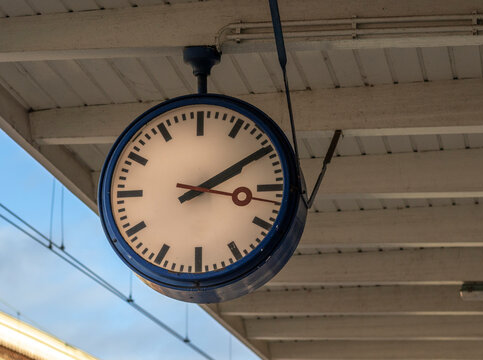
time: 2:09
